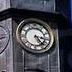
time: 3:23
